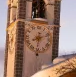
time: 8:12
